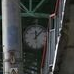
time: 12:07
